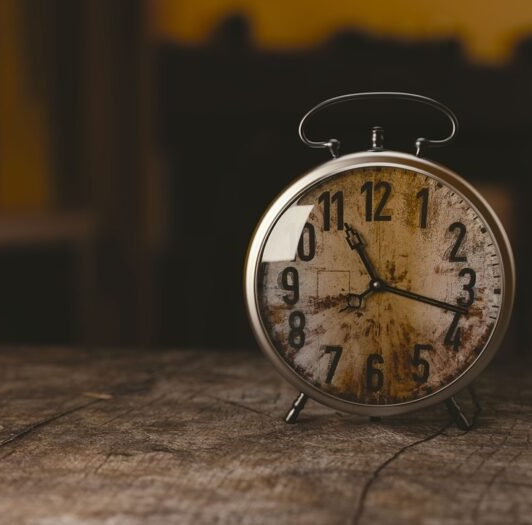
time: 11:17
